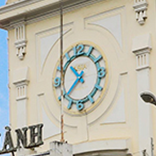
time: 10:38
